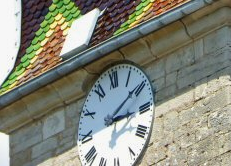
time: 3:09
